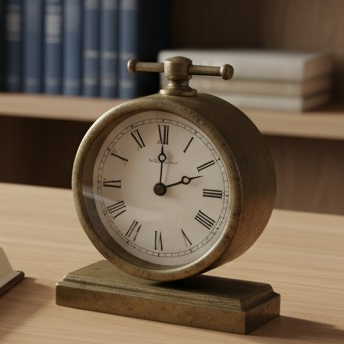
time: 2:00
